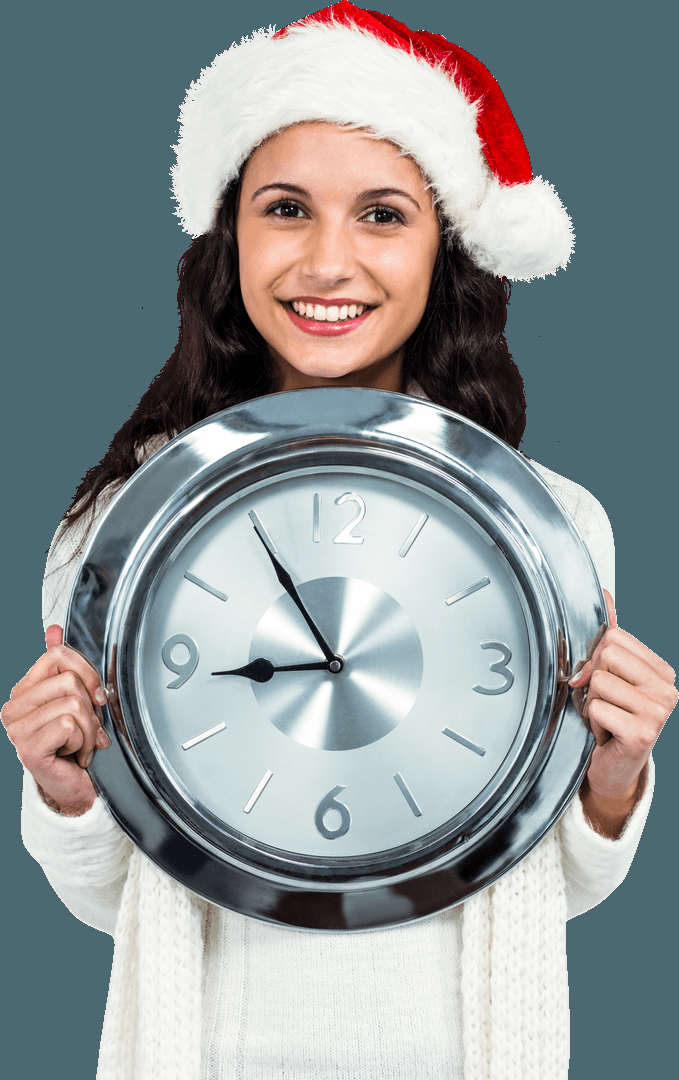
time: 8:54
